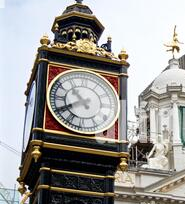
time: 10:40
